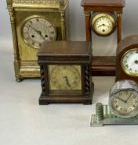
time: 5:26
